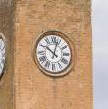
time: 10:03
